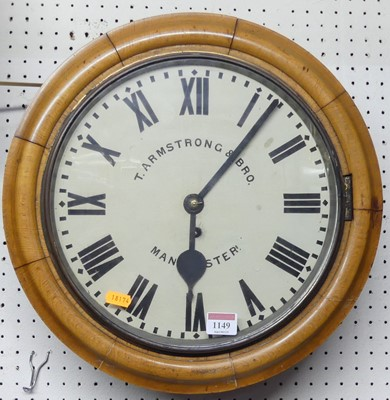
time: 6:06
